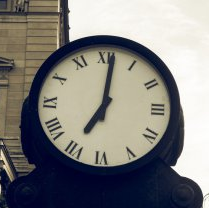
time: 7:01
